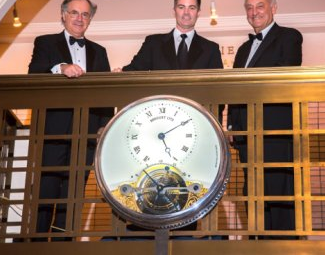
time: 5:09
